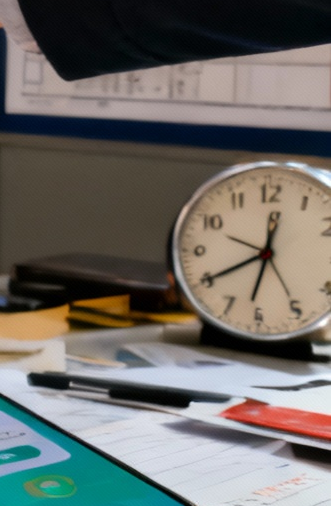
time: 12:40
